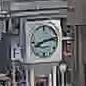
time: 8:12
